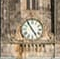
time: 4:54
